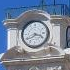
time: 3:40
